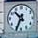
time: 10:34
